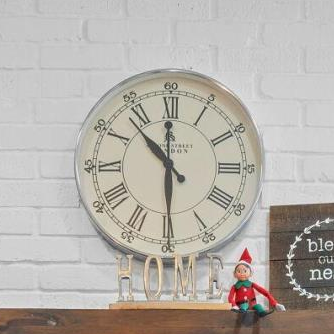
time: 10:29
